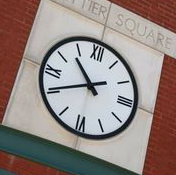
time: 10:40
